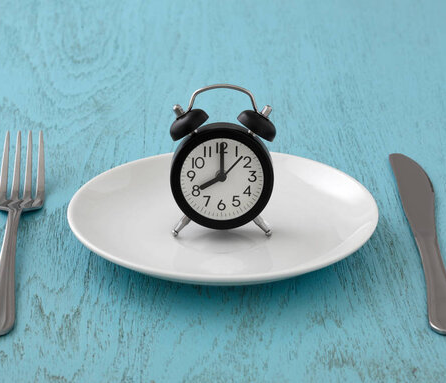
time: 8:00
